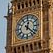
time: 12:22
